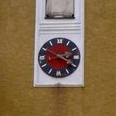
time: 2:19
